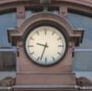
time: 9:33
